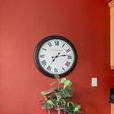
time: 7:13
